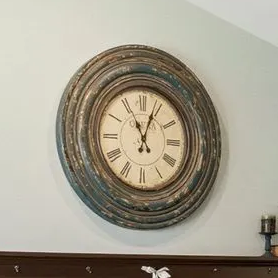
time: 11:03
